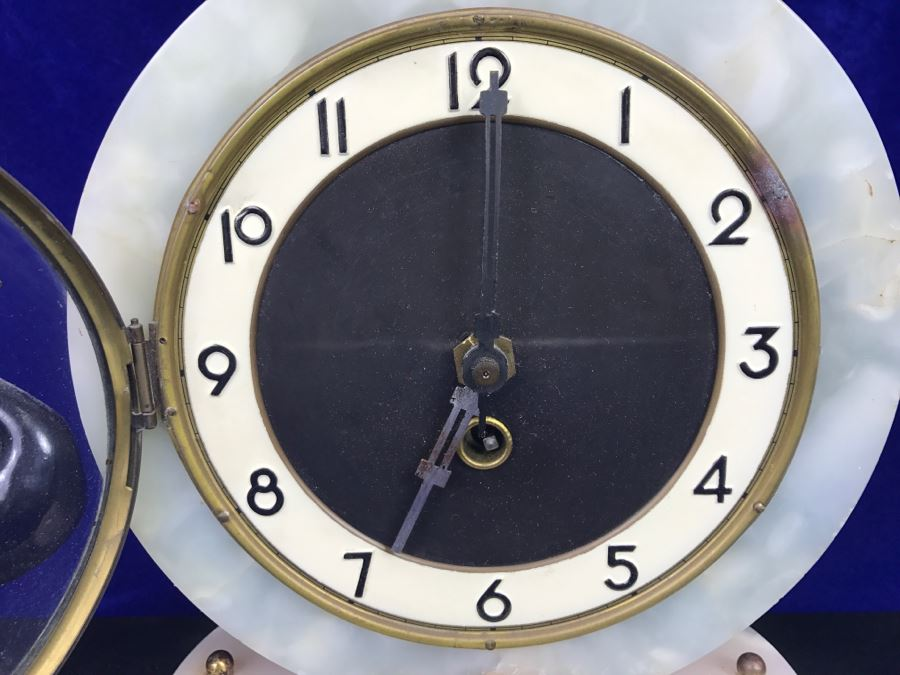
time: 7:00
